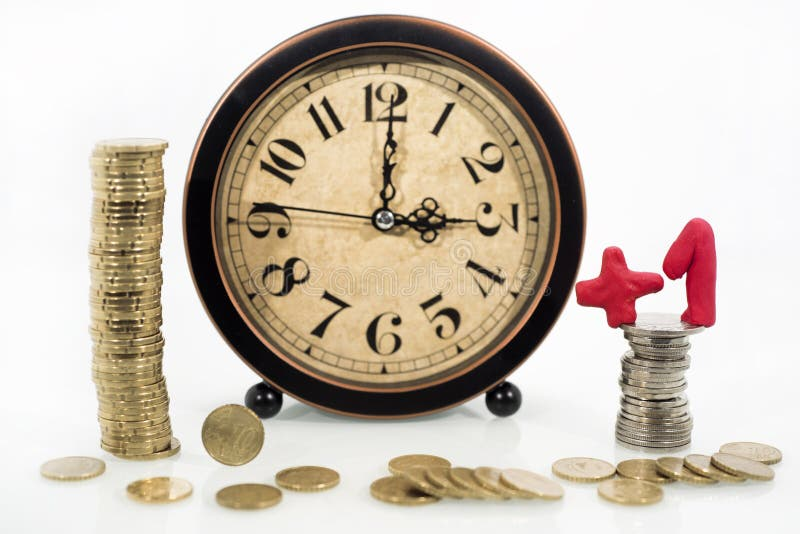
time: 3:00
